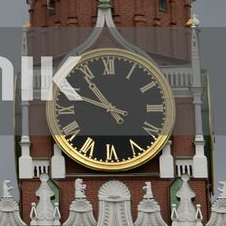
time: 10:48
